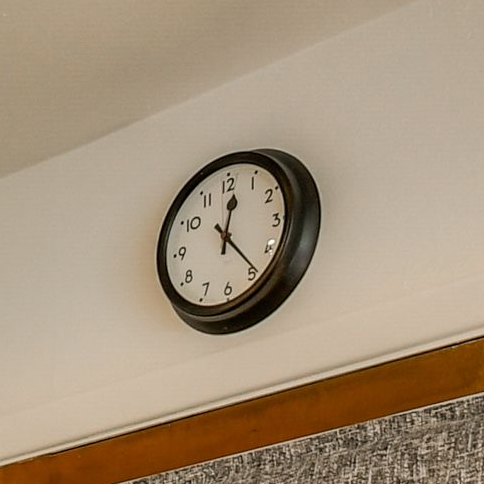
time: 12:23
